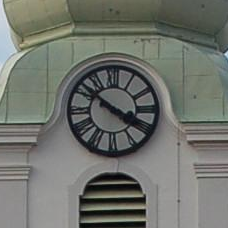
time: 3:51
